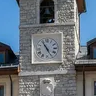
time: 4:54
